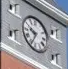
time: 9:34
